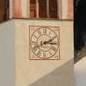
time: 2:15
